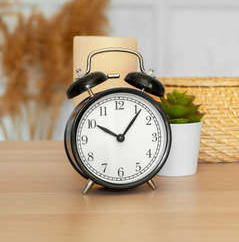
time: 10:06
